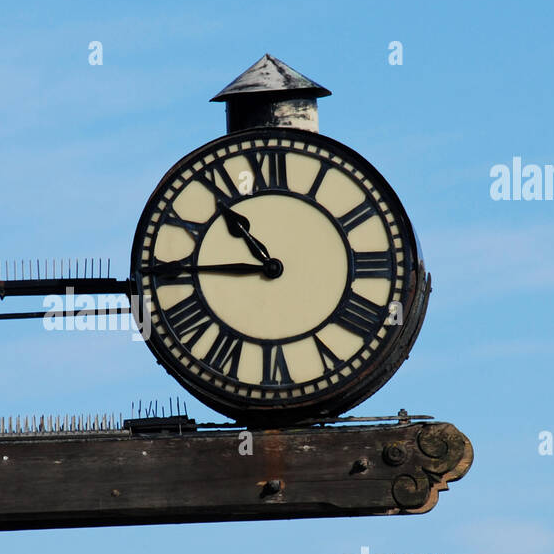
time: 10:44
